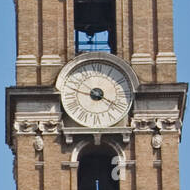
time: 9:20
